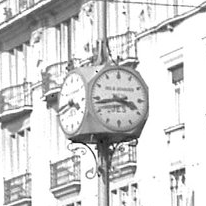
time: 3:43
